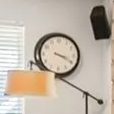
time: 3:19
